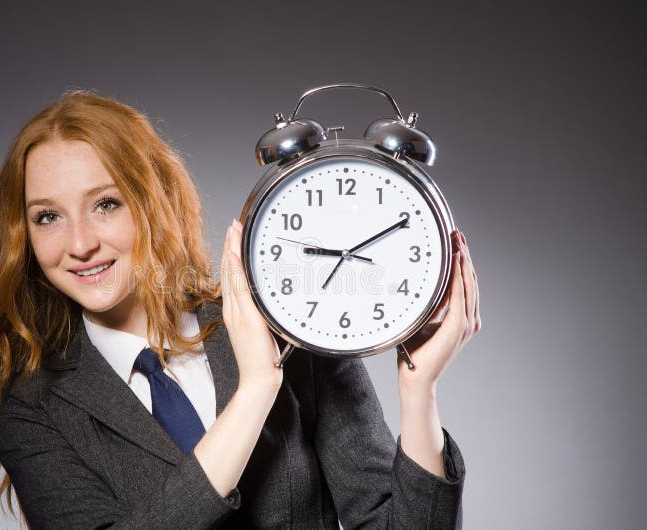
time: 9:10
